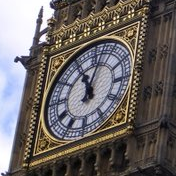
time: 11:02
